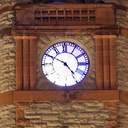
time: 4:50
